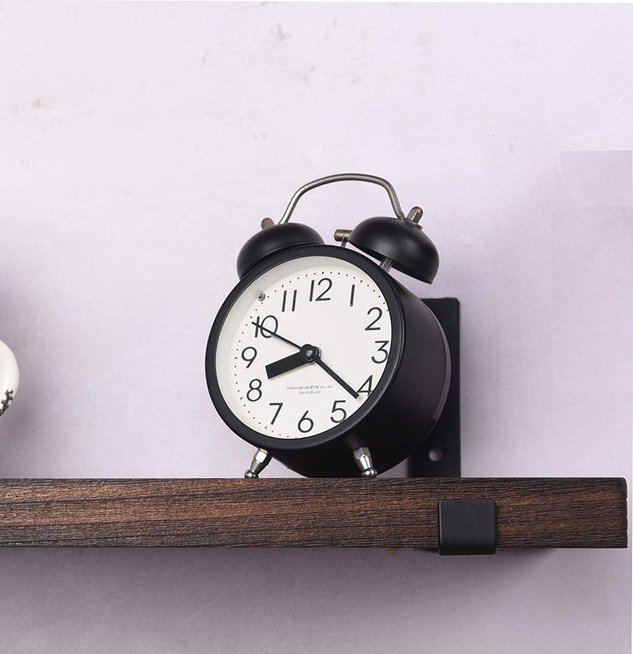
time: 8:21
